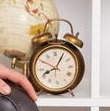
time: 8:05
